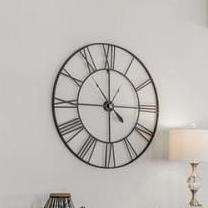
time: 8:59
